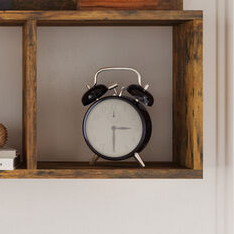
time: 3:30
